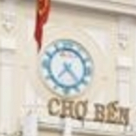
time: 7:22
